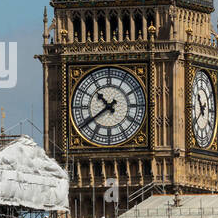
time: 10:39
